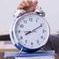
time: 8:10
